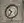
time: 10:36
